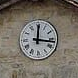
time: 12:16
